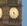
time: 4:31
